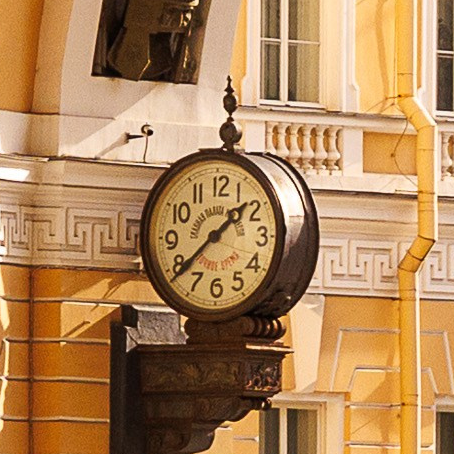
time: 1:38
